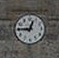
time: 12:45
